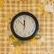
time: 11:52
